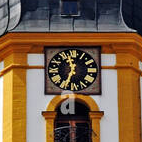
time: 11:33
